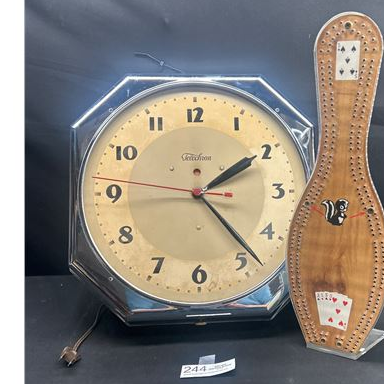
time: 2:09
